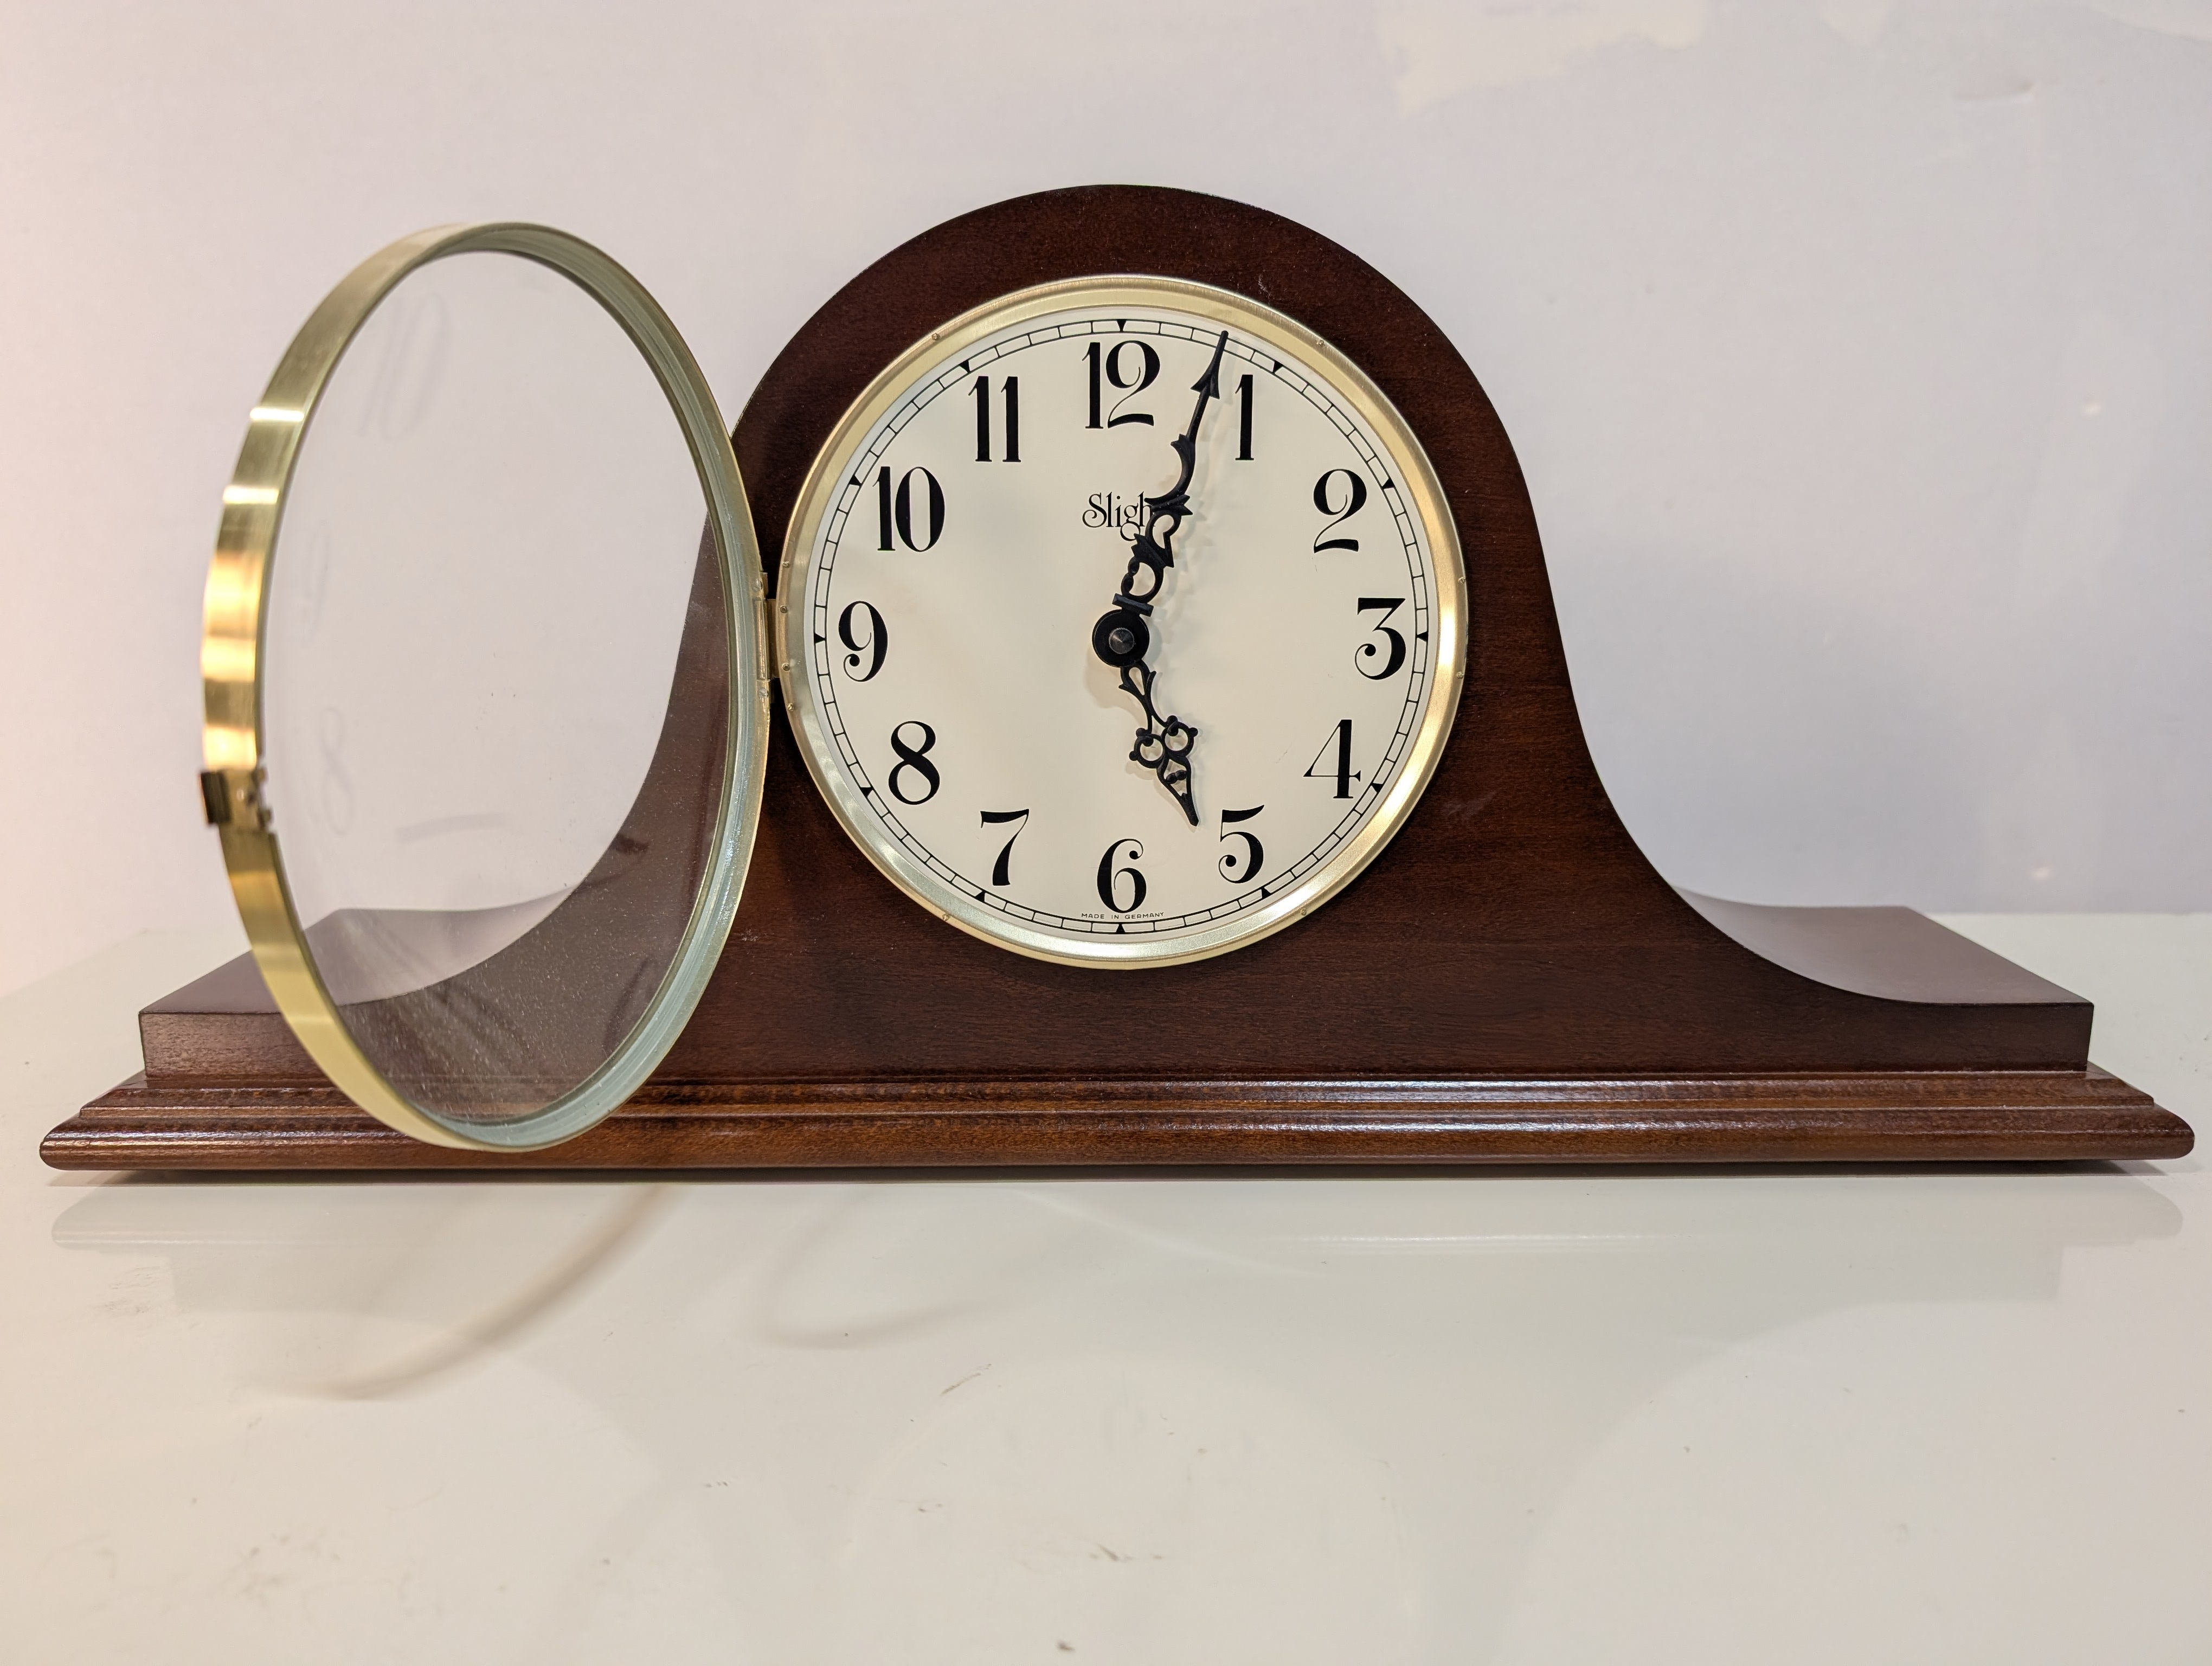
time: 12:03
